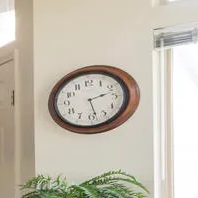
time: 2:28
